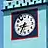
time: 8:35
